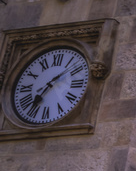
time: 7:08
